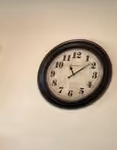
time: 11:08
